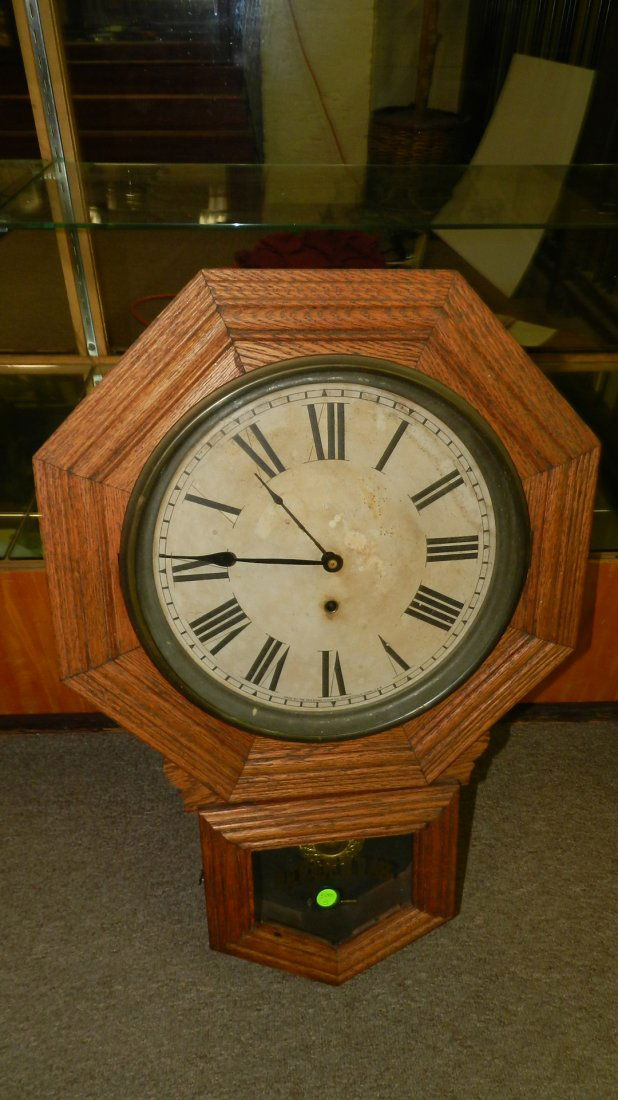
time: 10:45
